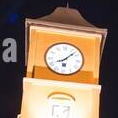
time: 8:07
